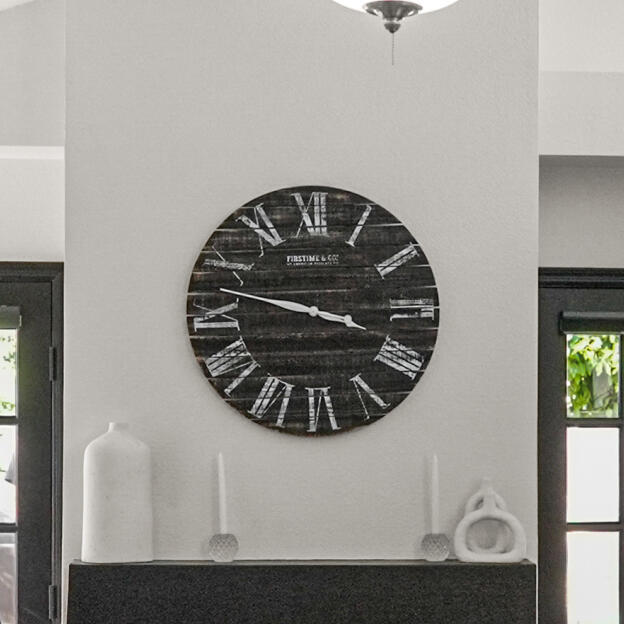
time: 3:47
